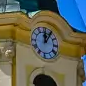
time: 12:05
